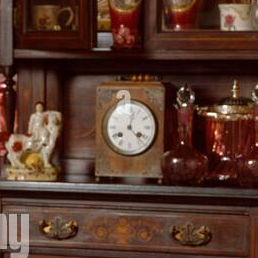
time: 4:02
